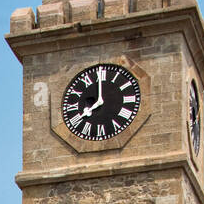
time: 7:59
